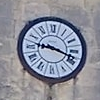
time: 9:18
